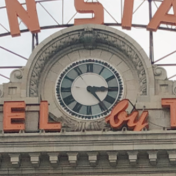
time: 3:23
